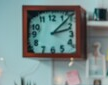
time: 2:07
